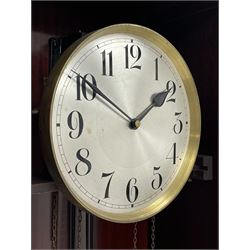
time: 1:50
